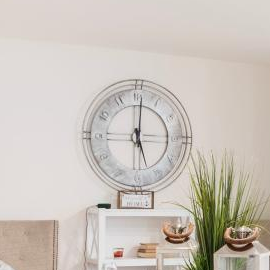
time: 5:00
